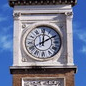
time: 2:00
